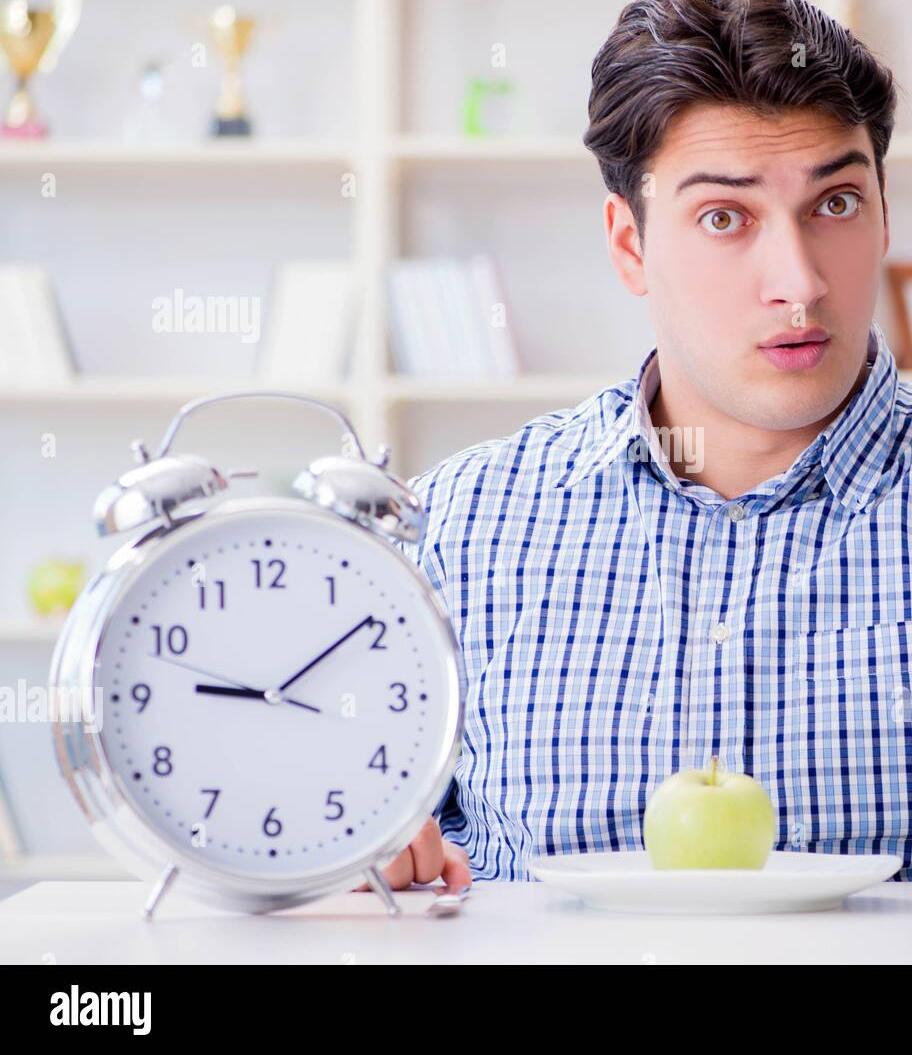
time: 9:09
